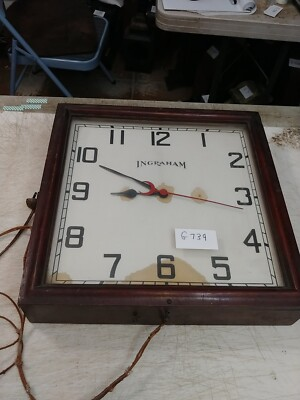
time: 8:49
